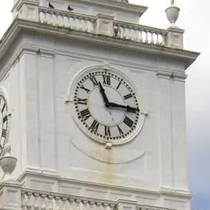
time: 11:14
